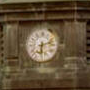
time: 6:12
